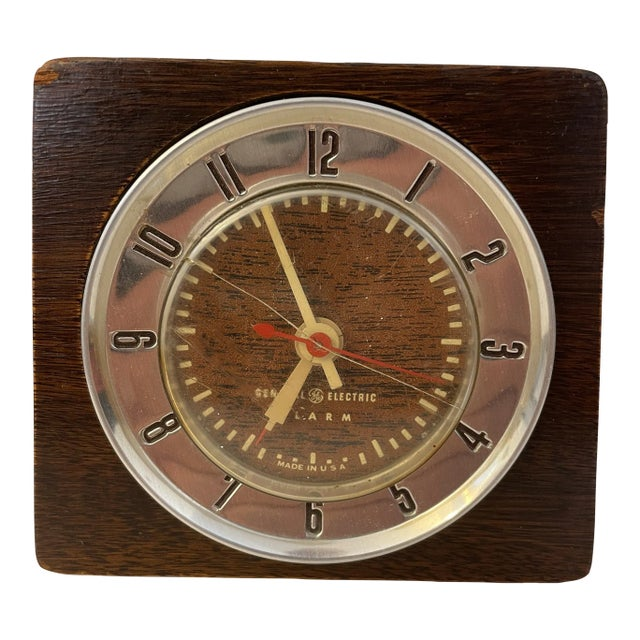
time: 6:56
